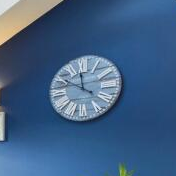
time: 11:50
